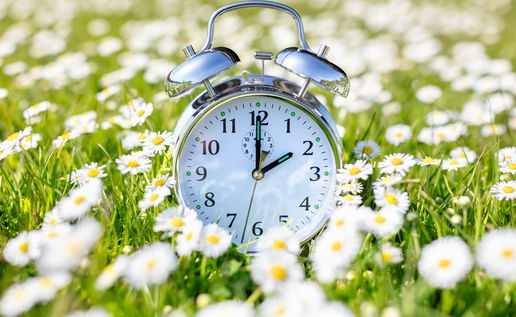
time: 2:00
